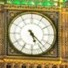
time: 5:22
